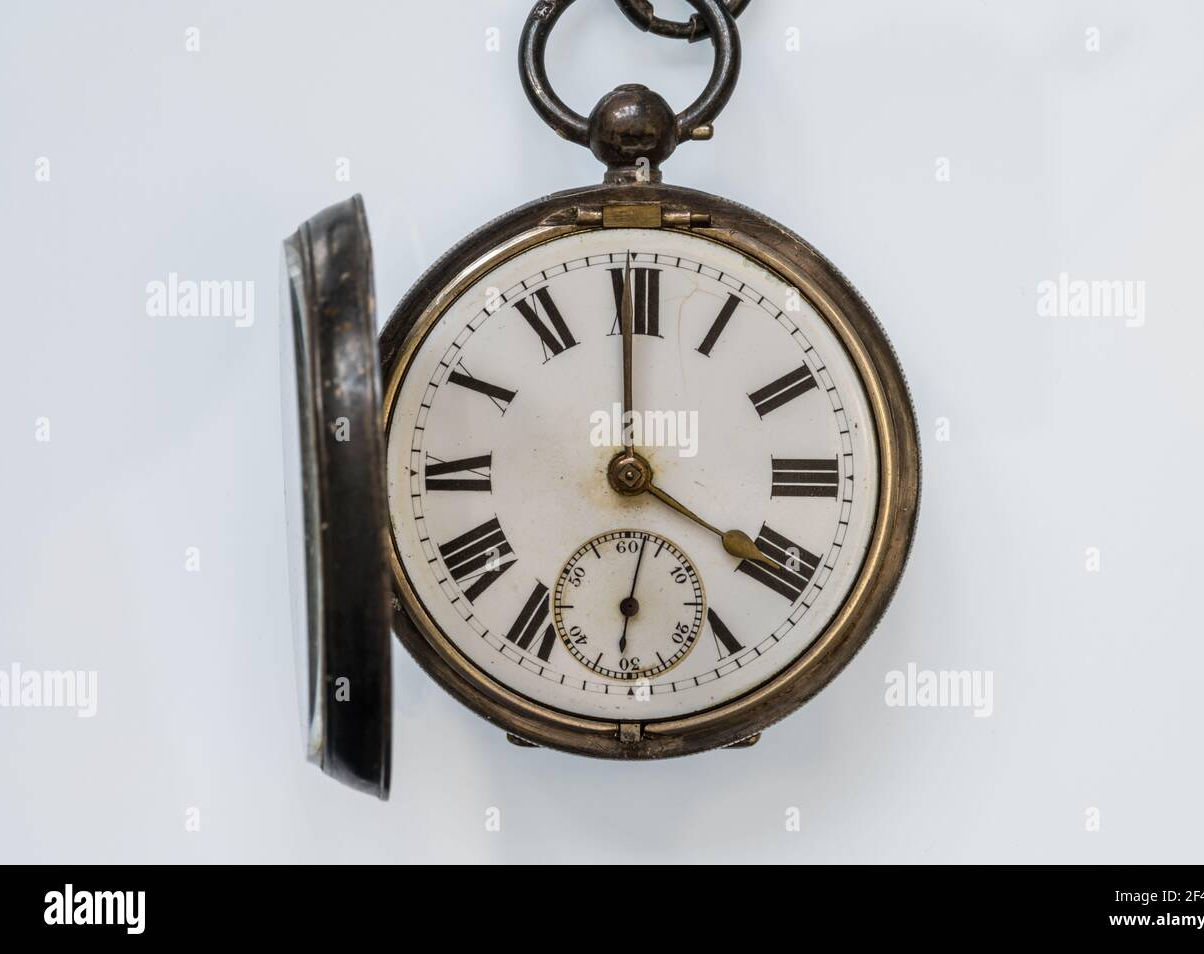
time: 3:59
